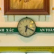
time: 6:19
